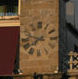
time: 7:47
